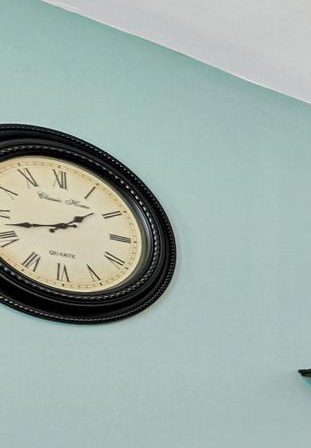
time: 1:42
